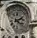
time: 2:21
